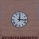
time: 12:16
